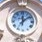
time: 12:08
